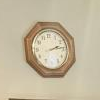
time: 2:13
